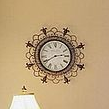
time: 2:40
